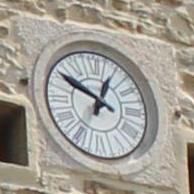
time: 12:49
